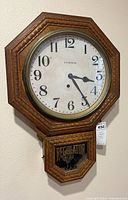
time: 3:23
